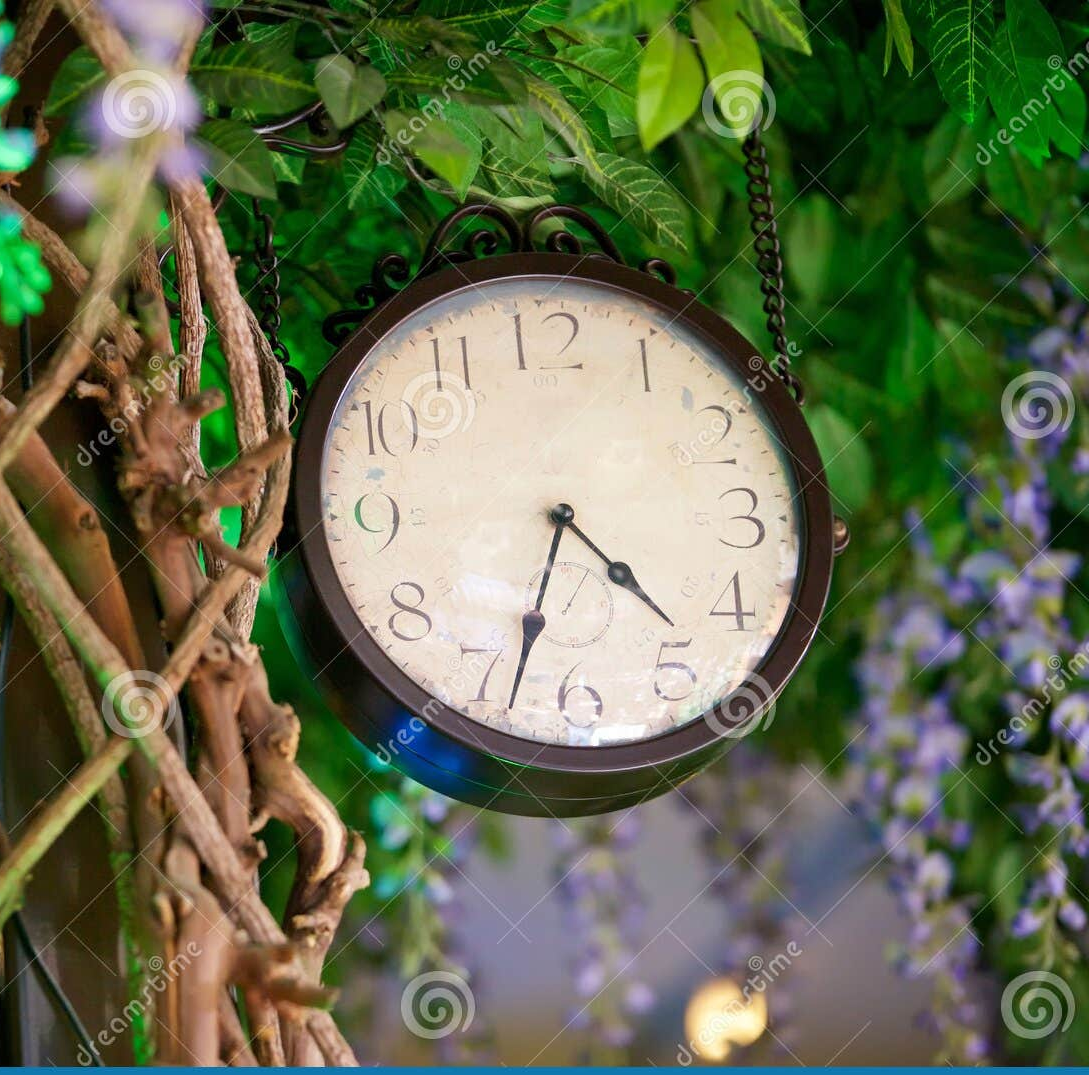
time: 4:33
